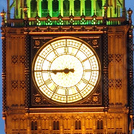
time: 8:44
